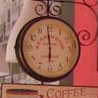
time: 5:59
